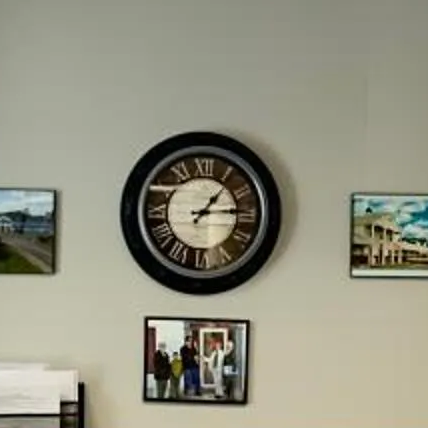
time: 1:14
